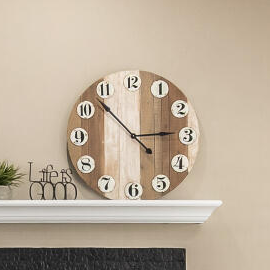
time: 2:52
